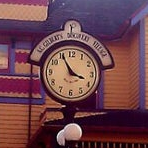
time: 3:55
